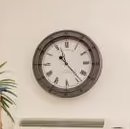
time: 11:23
